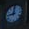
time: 9:01
